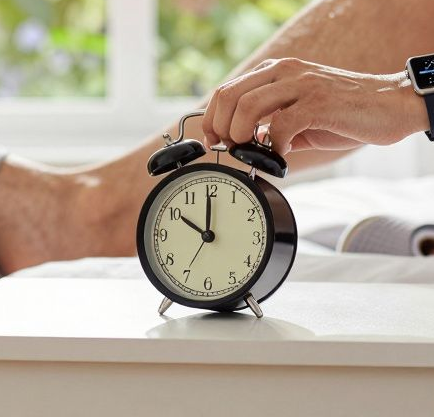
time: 10:00
